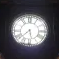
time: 5:38
